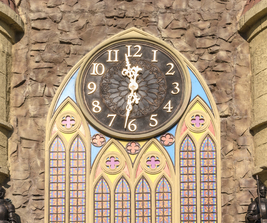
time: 11:31
